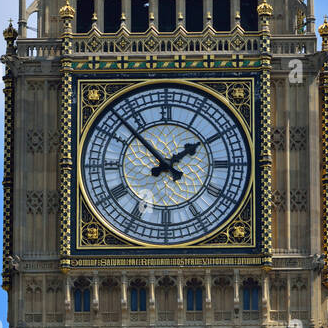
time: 1:52
